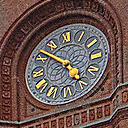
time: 4:51
